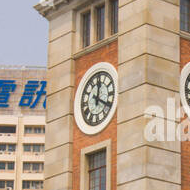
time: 12:20
